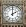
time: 2:00
